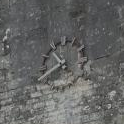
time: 10:41
